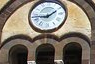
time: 1:43
